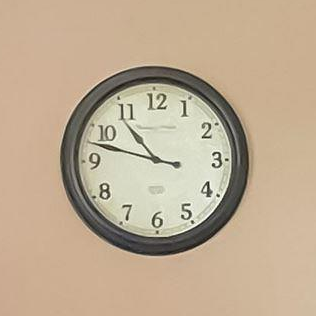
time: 10:47
